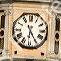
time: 6:25
